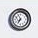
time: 6:56
